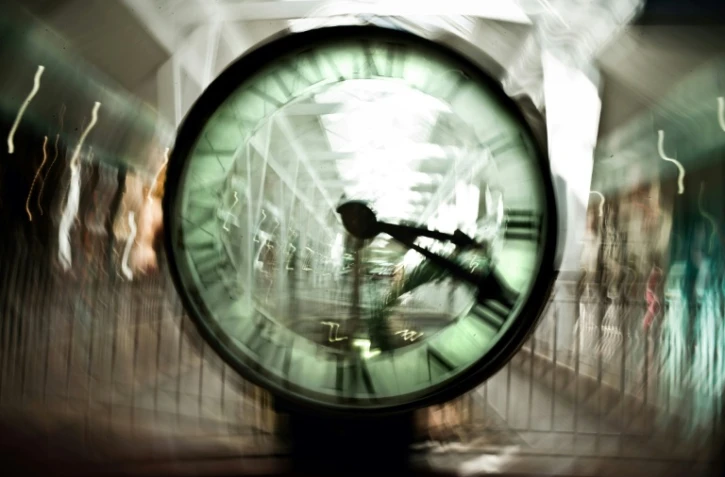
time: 3:19
